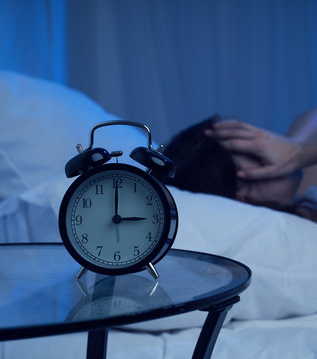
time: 3:00
